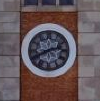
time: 2:40
